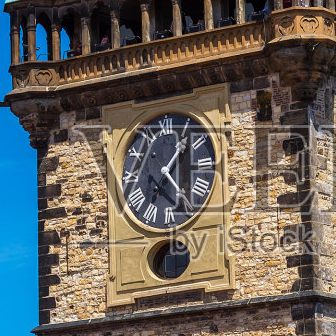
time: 1:23
